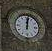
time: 12:01
